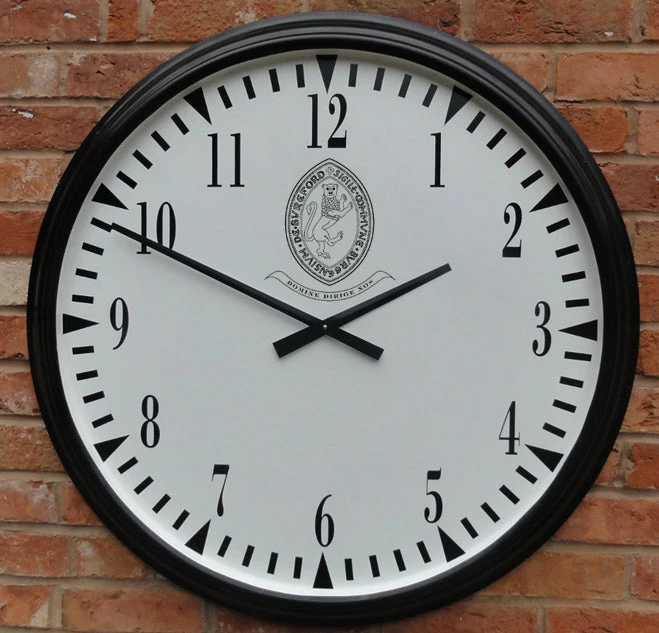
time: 1:49
